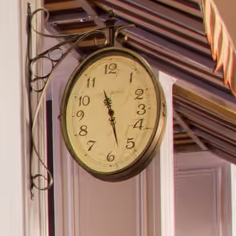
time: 11:28
